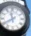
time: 11:39
